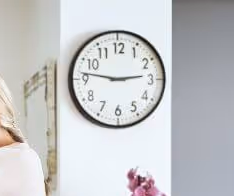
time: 2:46
